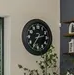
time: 2:35
